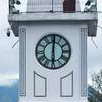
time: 6:00
